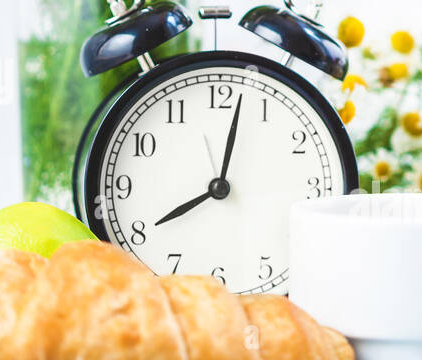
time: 8:02
